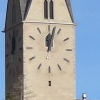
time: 12:02
